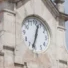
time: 12:32
